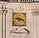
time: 9:17
